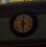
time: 5:59
